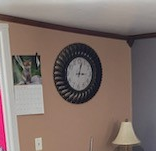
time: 3:02
